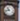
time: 10:42
